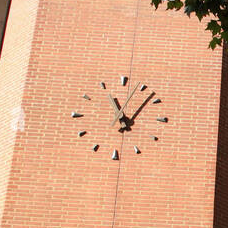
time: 11:07
